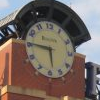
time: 5:45
